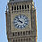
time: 9:53
